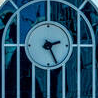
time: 2:25
